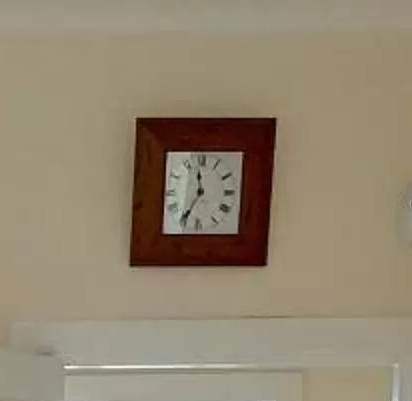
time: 11:35
